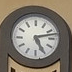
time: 5:12
